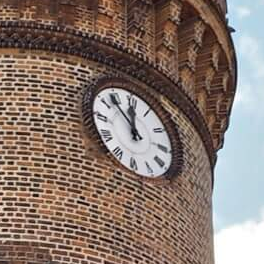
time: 11:52
